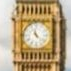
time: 11:22
